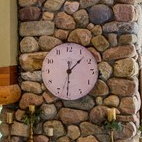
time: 1:30
